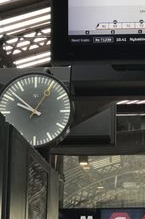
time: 9:51
